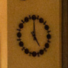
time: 5:00
